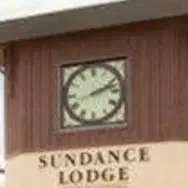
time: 2:11
